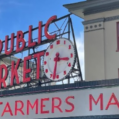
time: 3:32
